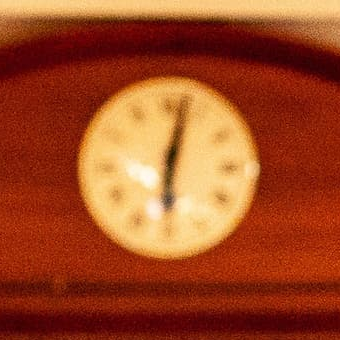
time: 6:02
